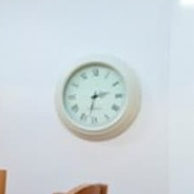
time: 2:32
